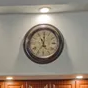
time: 11:35
